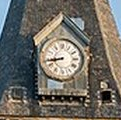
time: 8:43
